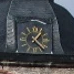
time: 1:22
